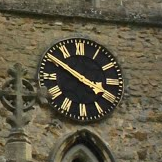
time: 3:50
